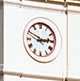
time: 2:49
